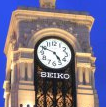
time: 4:48
